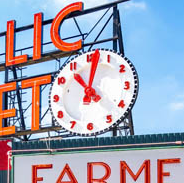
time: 11:02
